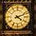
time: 4:11
